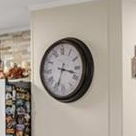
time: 3:33
